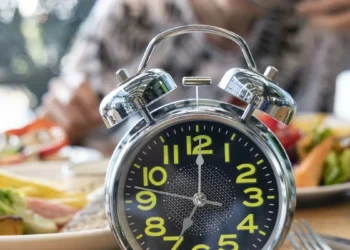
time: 7:00
